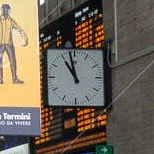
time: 10:58
